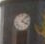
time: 4:07
